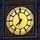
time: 6:56
